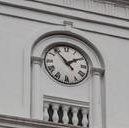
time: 1:53
